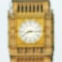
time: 8:14
